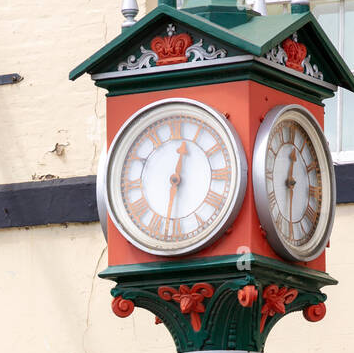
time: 12:32
